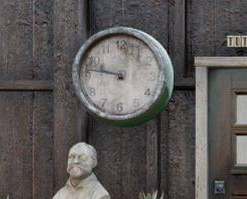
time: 9:47
